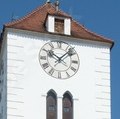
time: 10:07
